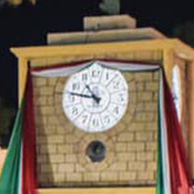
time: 10:47
